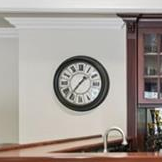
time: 1:36
